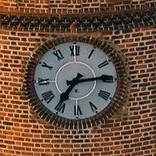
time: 7:14
